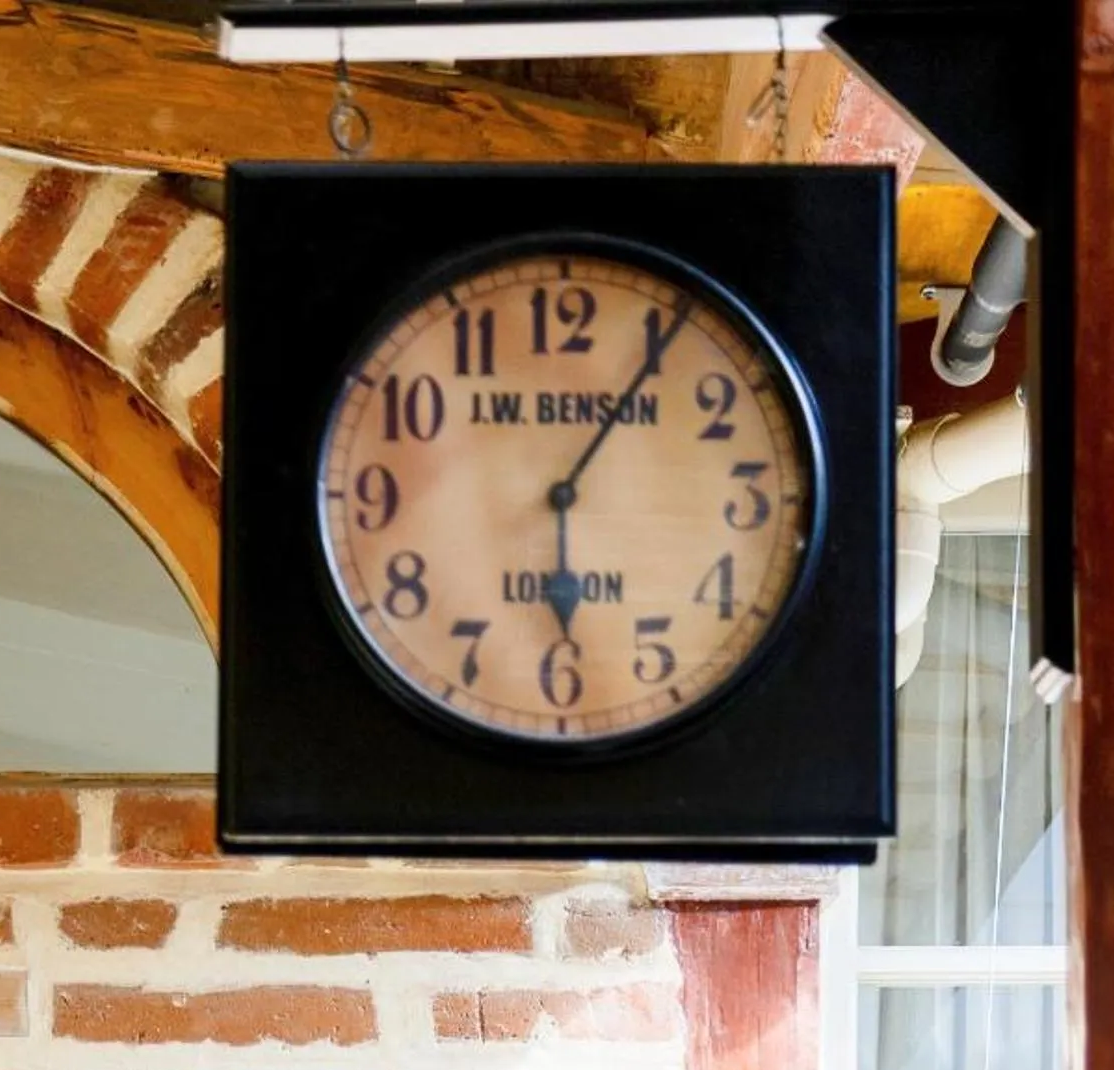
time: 6:05
